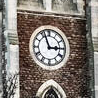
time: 2:56
